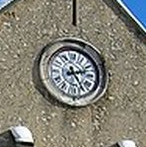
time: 2:25
